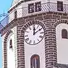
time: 12:09
